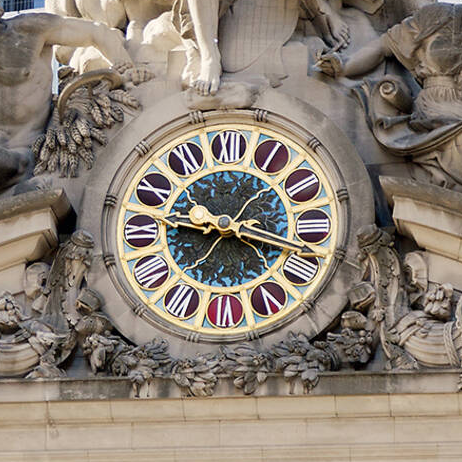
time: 9:17
